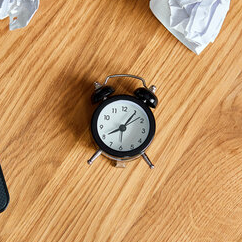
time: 8:06
